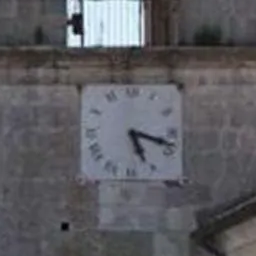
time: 5:18
